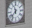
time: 11:37
